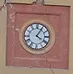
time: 4:05
